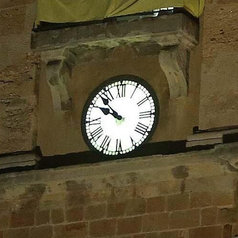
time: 9:52
